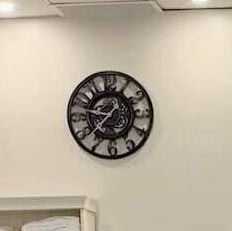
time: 9:37
